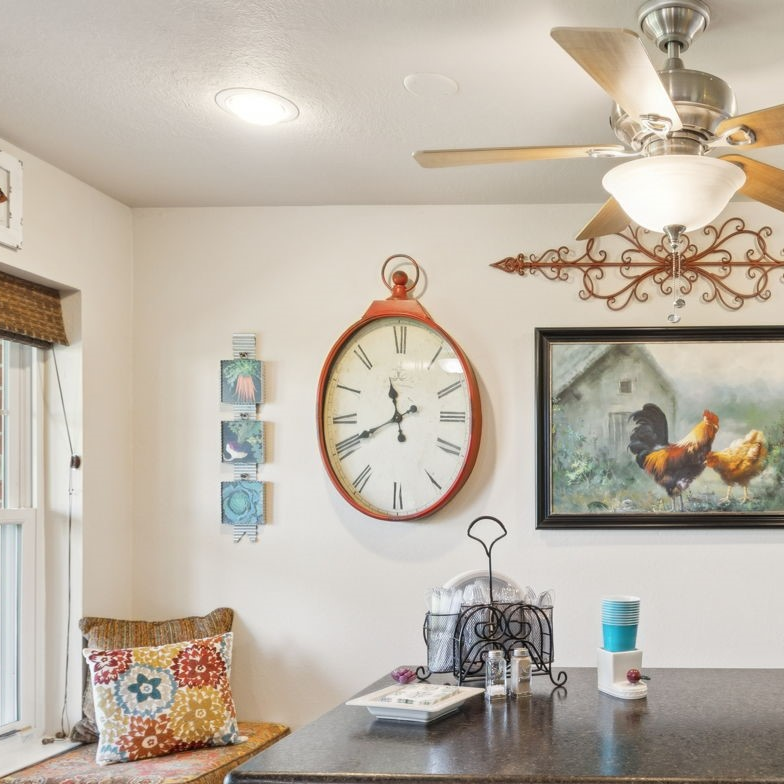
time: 11:41
